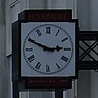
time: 2:49
